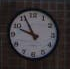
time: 9:55
